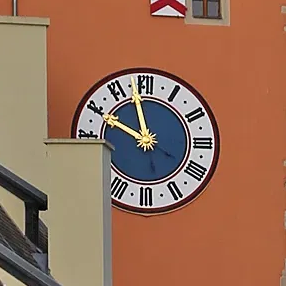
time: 9:57
